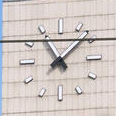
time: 11:07
